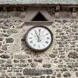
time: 11:00
